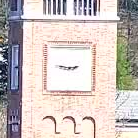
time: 2:46
